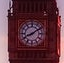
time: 8:09
